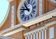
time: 10:47
